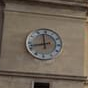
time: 11:42
